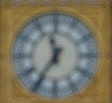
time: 11:35
